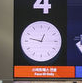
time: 12:47
